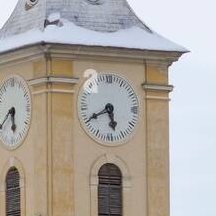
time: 5:40
